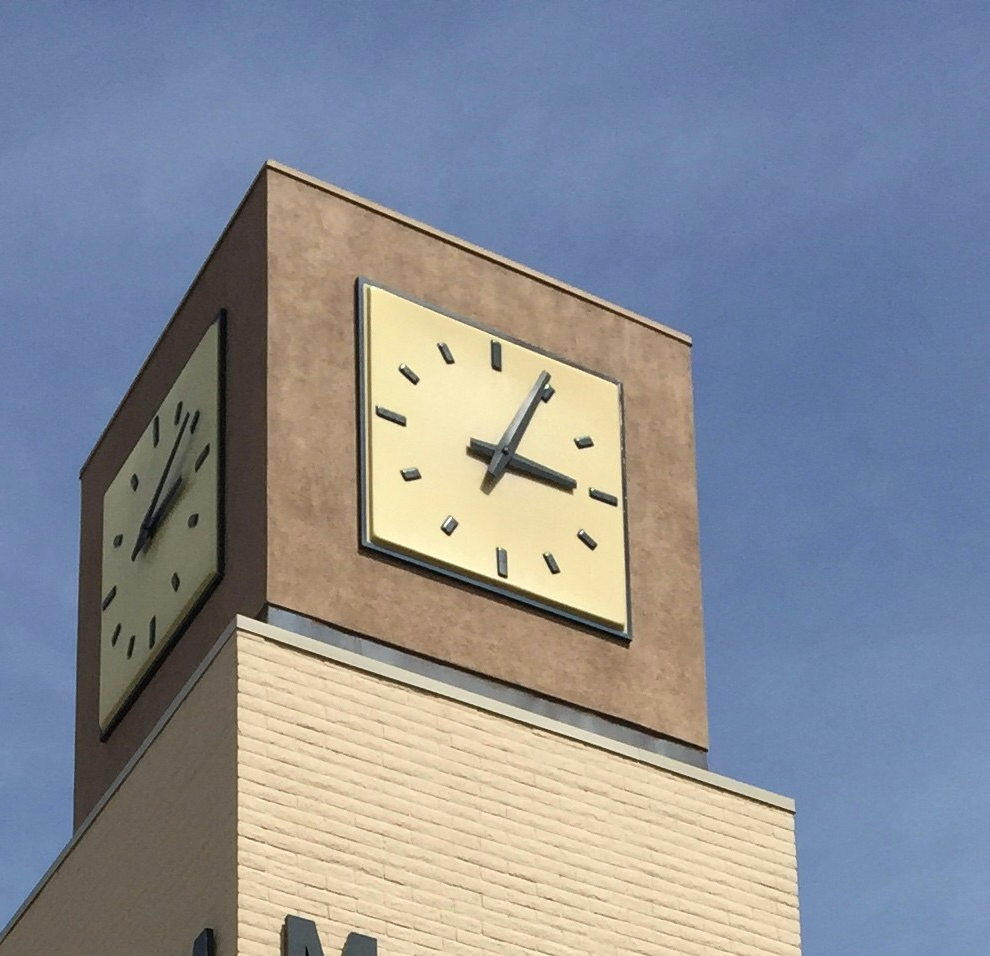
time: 3:04
